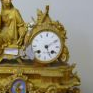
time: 5:09
